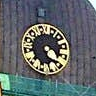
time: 5:18
